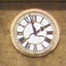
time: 1:57
